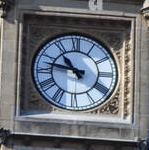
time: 10:47
